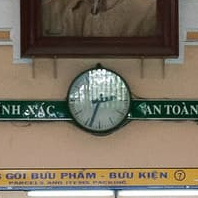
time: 2:33
